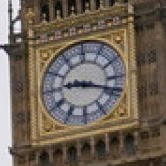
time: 9:18
